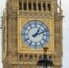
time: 1:11
